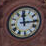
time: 12:15
